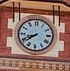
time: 7:41
